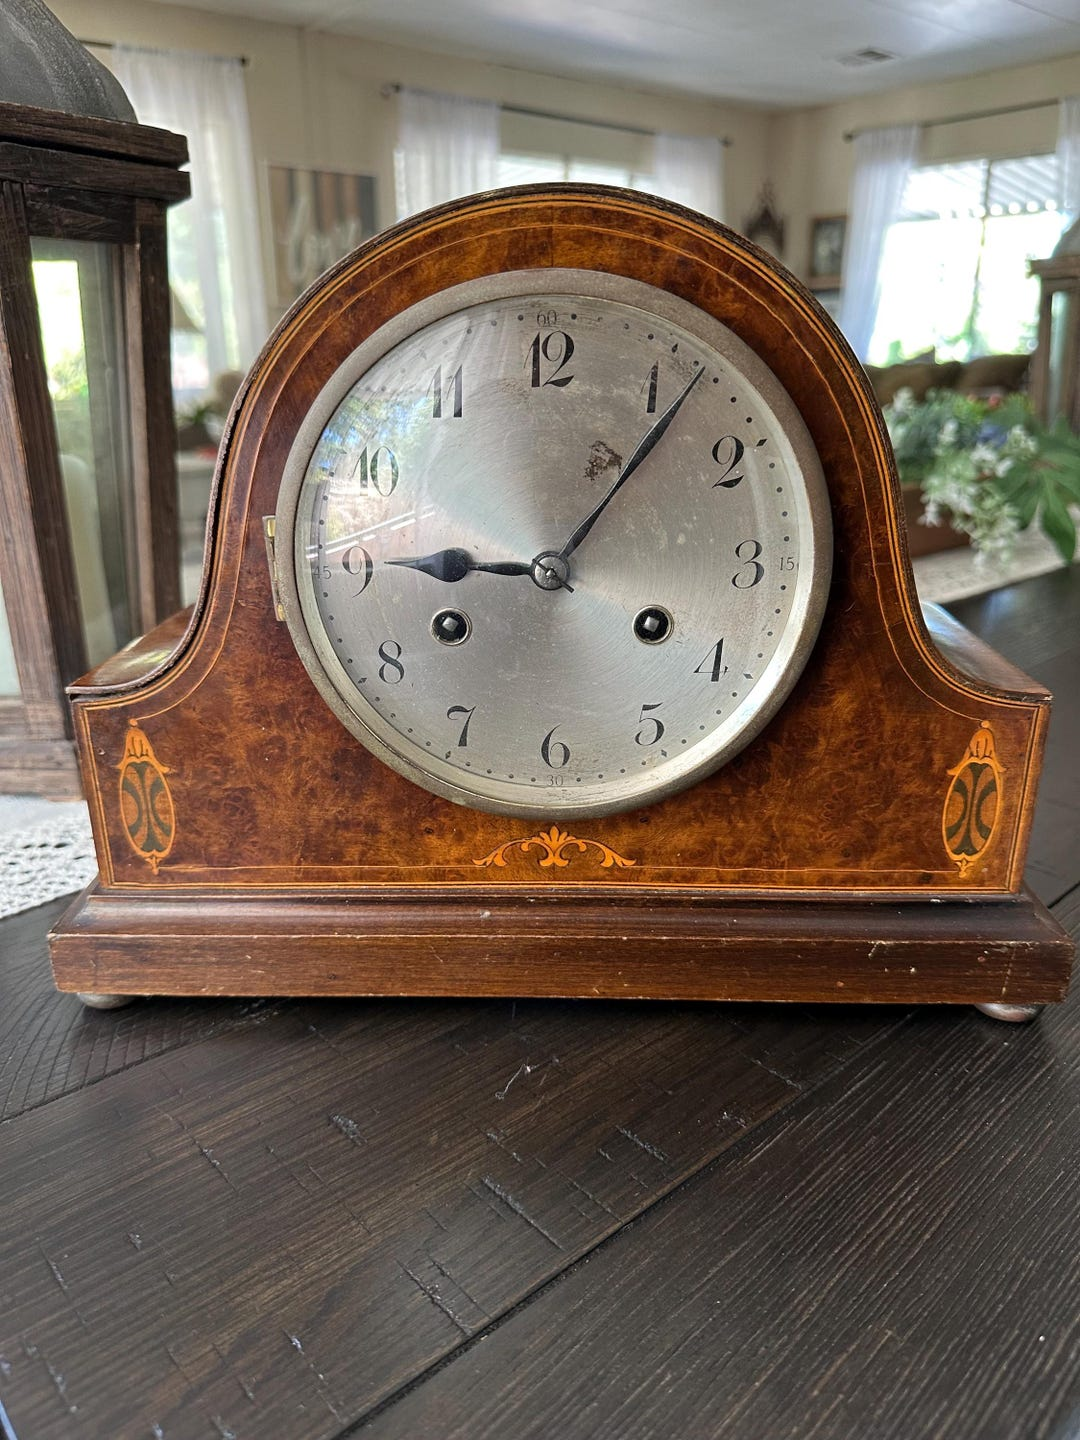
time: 9:06
